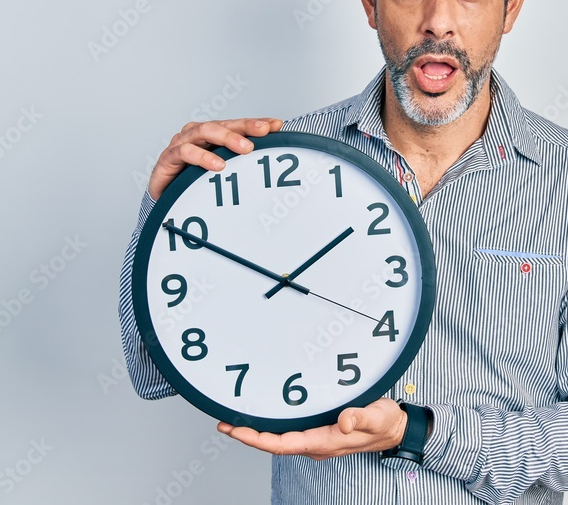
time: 1:50
